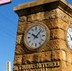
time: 10:07
